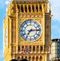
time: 7:14
